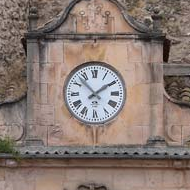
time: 1:52
